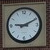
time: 9:10
